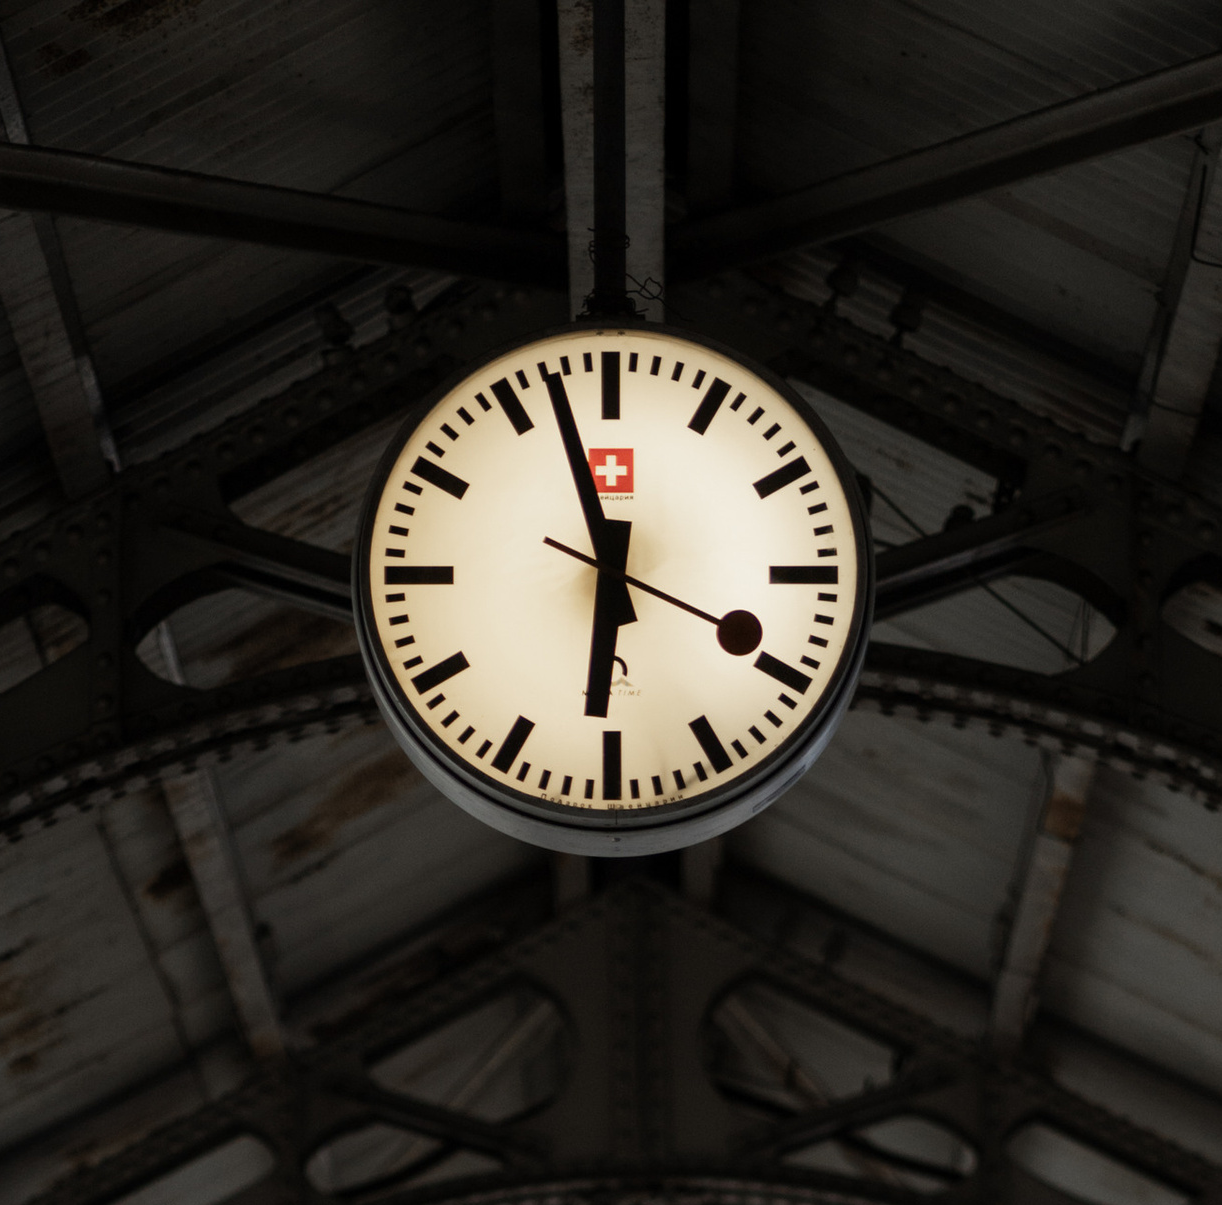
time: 5:57
